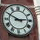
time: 2:49
